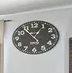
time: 12:53
